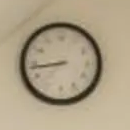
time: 8:43
